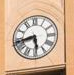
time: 5:42
